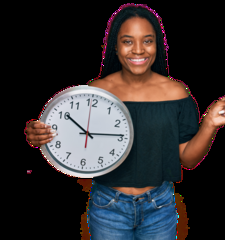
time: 10:13
